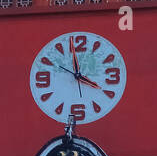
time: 3:58
